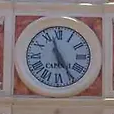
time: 4:57
